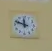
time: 11:48
